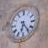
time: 6:23
